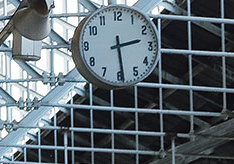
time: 2:29
